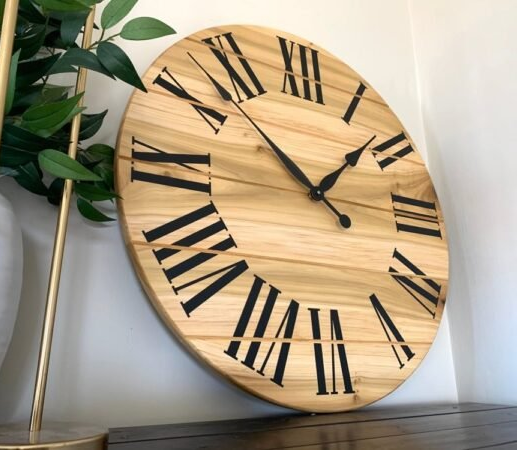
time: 1:52
